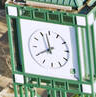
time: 11:40
